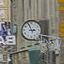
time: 2:56
